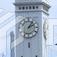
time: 2:06
